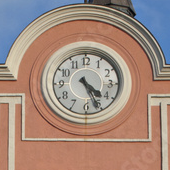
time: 4:26
